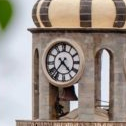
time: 4:36
